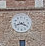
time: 3:42
